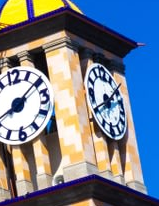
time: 1:40
